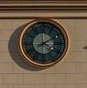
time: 4:10
